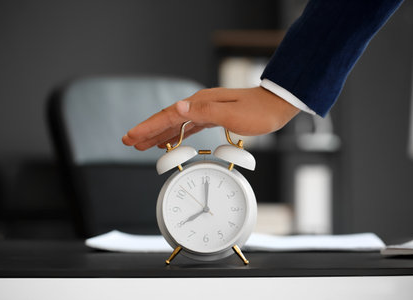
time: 8:00
